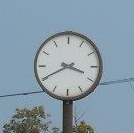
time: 3:40
